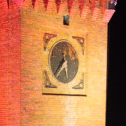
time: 12:37
